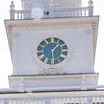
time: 1:29
